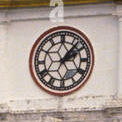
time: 2:06
